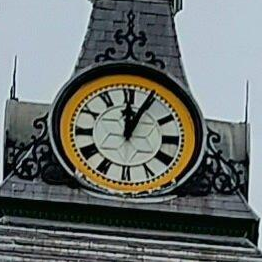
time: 12:04
